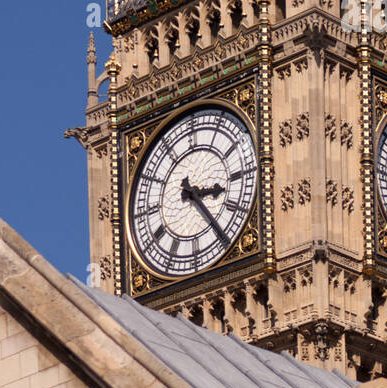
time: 3:24
